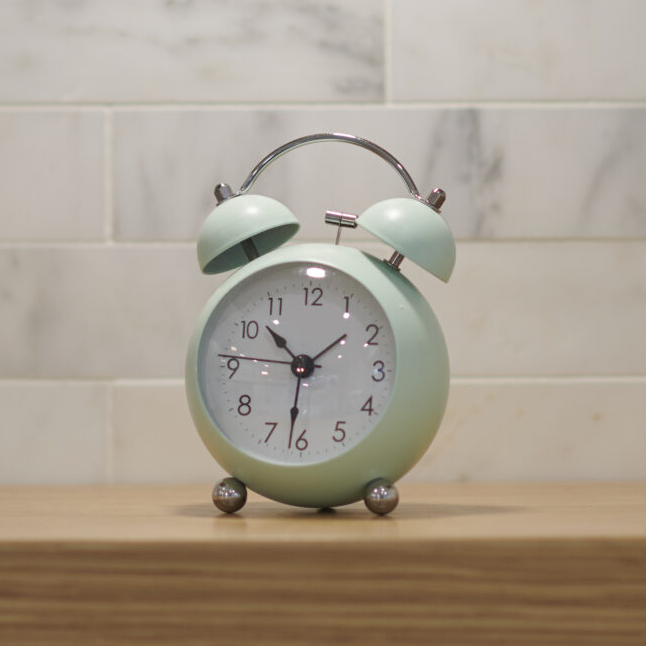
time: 10:31
